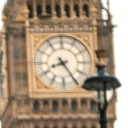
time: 8:24
